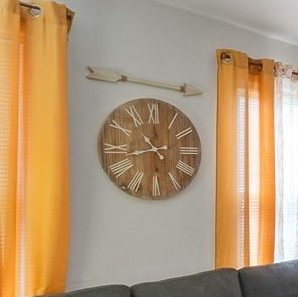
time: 10:43
